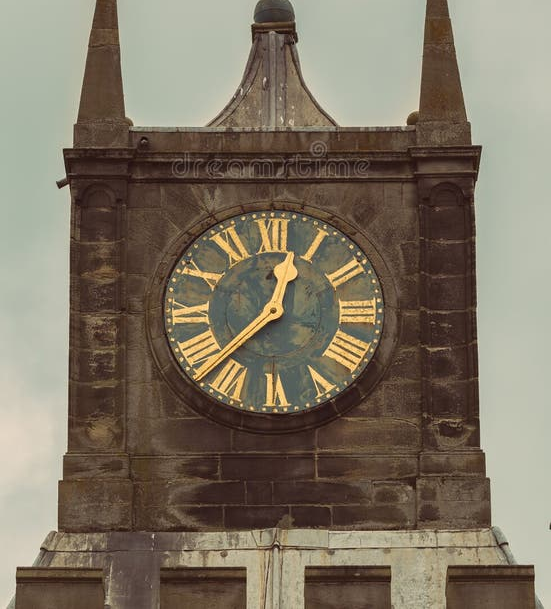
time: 12:37
